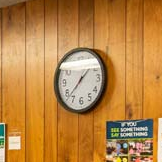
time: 1:37
